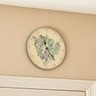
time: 11:23
